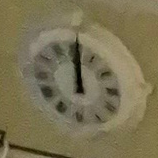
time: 12:00
